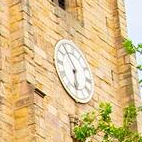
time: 5:54
